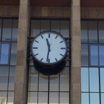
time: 11:31
